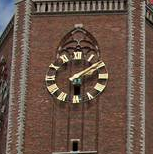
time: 2:09
